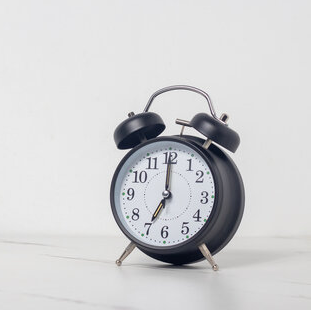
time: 7:00
